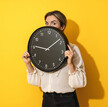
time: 9:08
